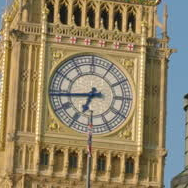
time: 6:43
